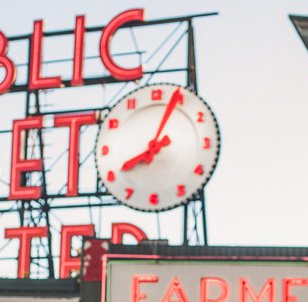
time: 8:04
